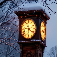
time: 6:21
